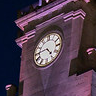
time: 4:44
